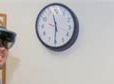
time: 11:30
